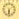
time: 6:08
